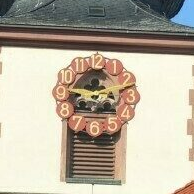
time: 8:47
